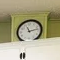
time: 11:13
